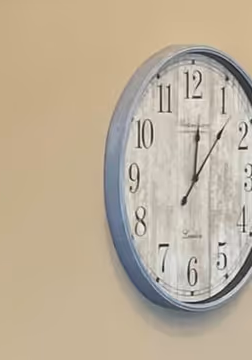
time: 12:06
